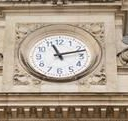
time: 11:12
